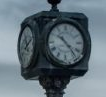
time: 10:22
